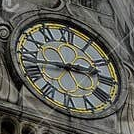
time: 2:43
